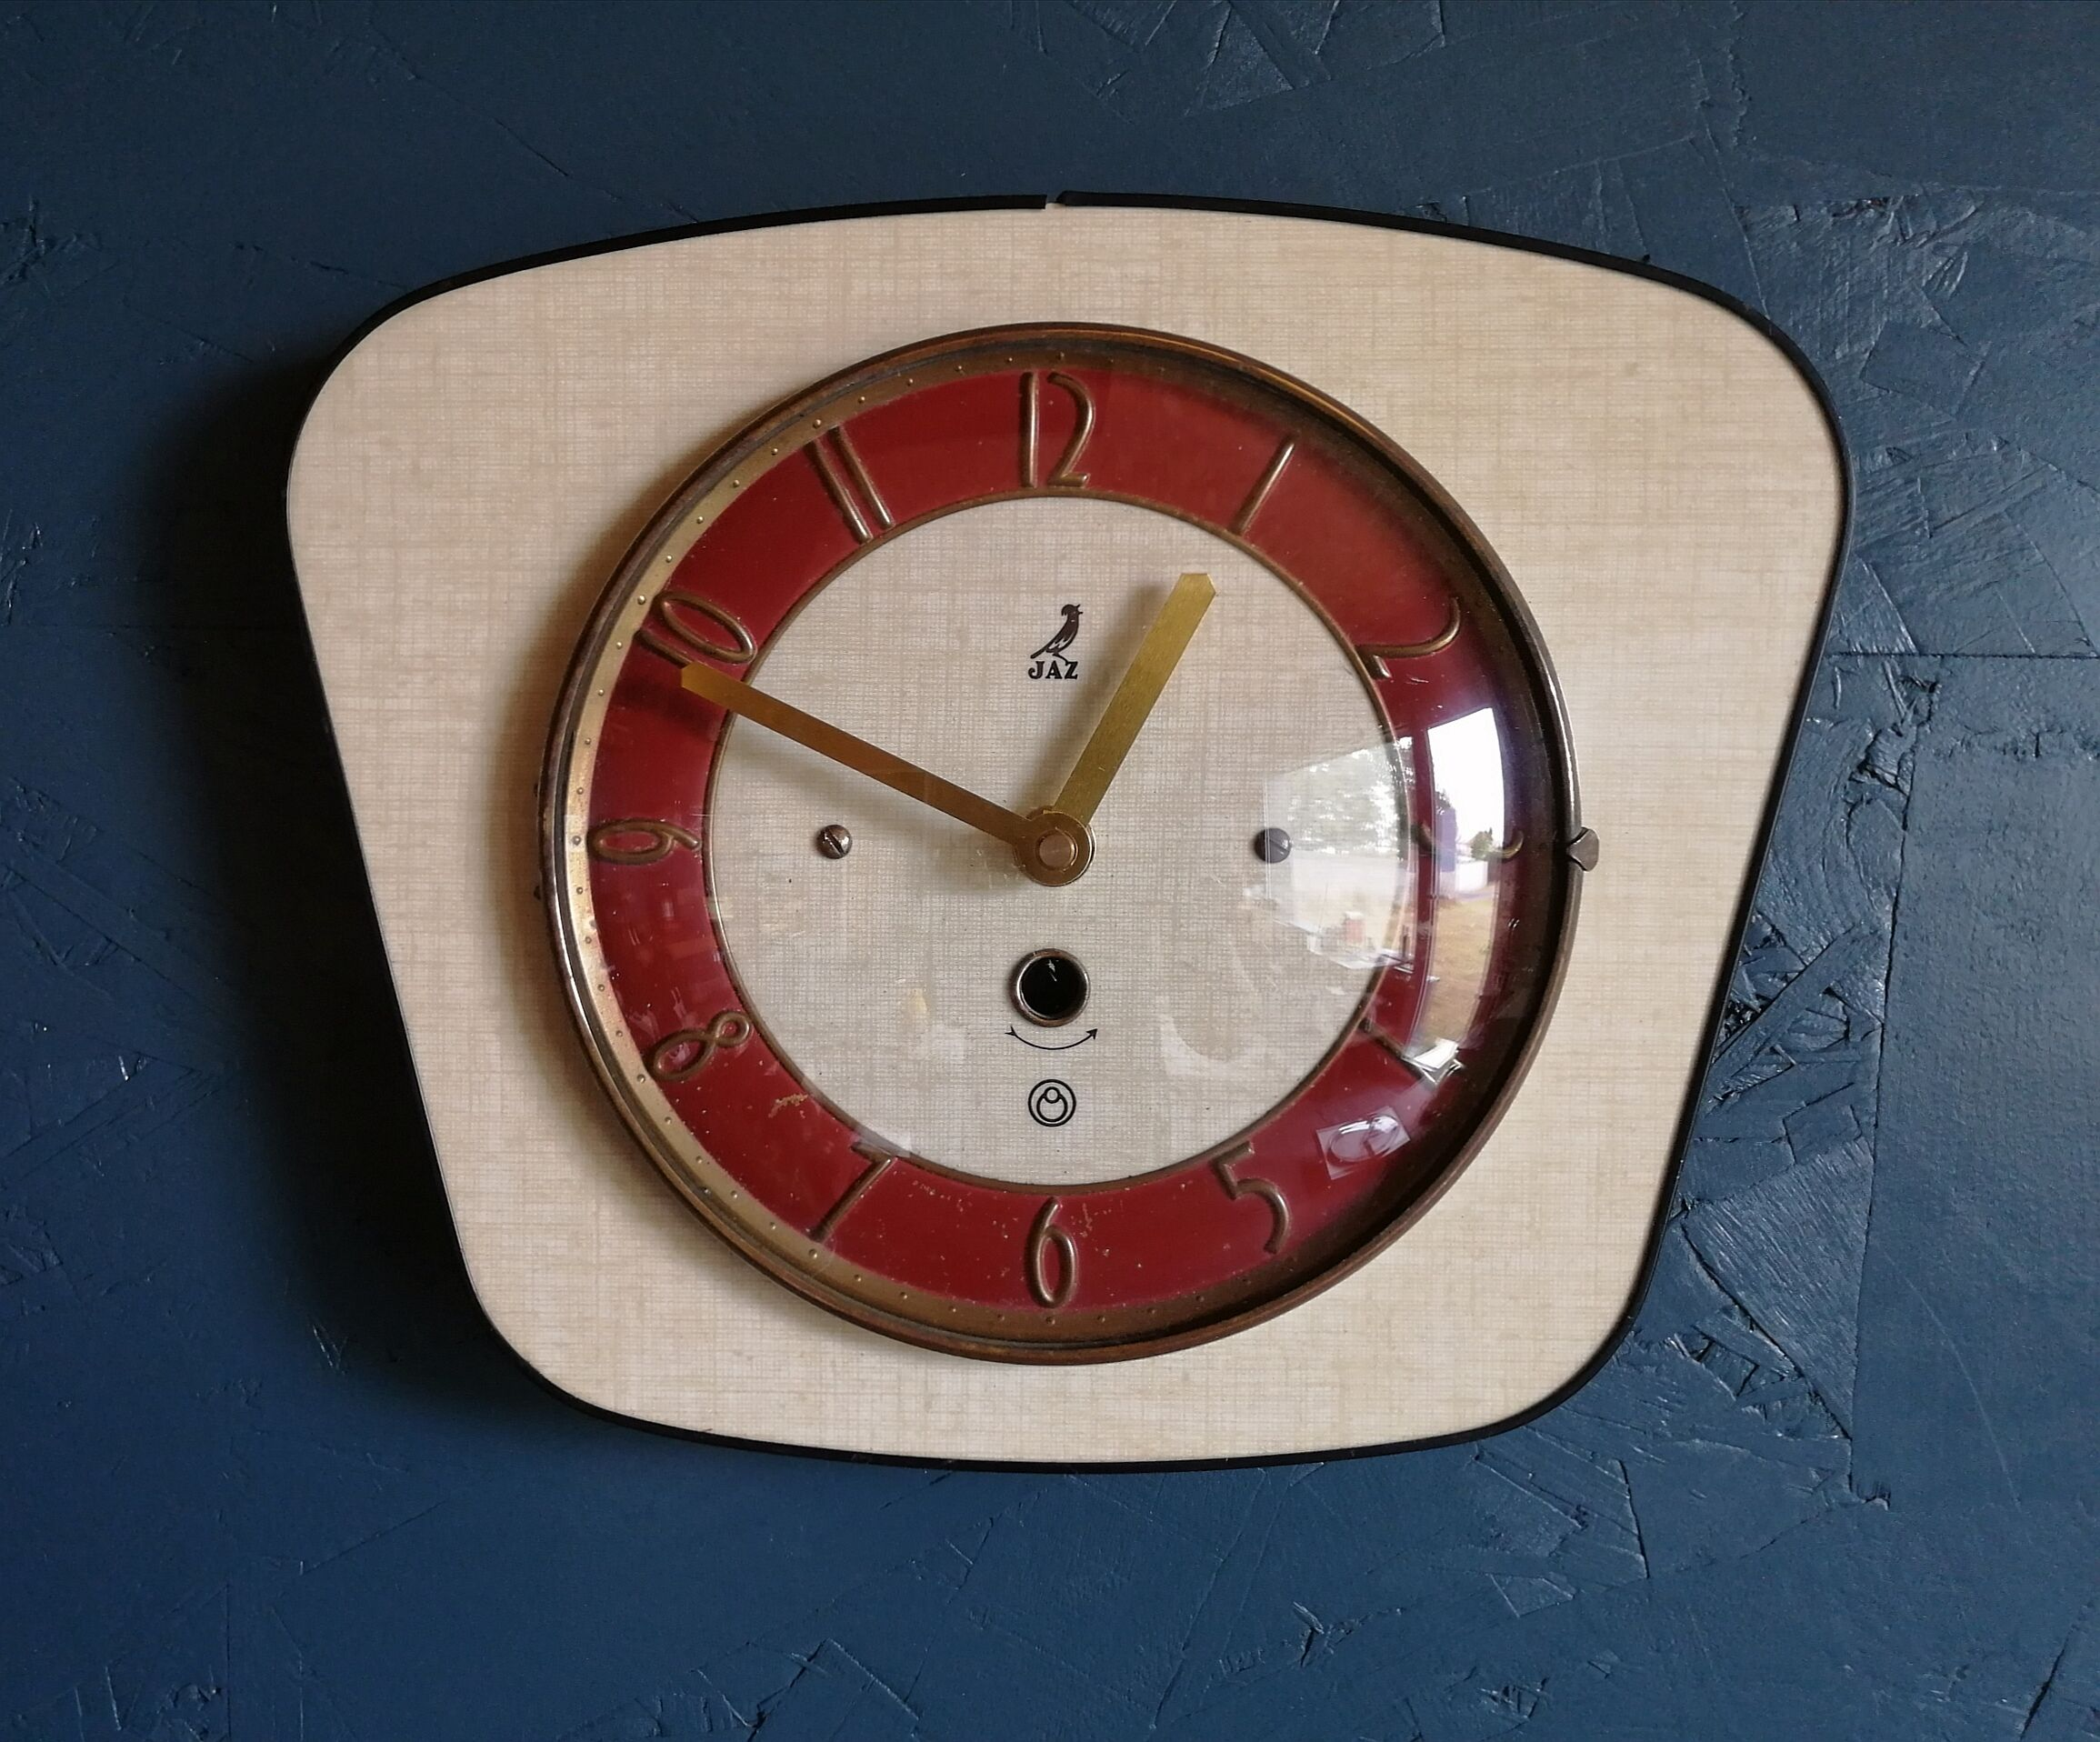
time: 12:49
